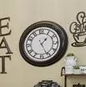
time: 1:26
